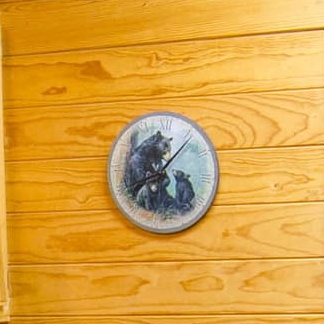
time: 8:06
